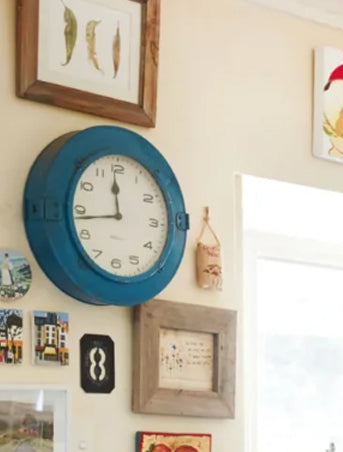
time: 11:43
